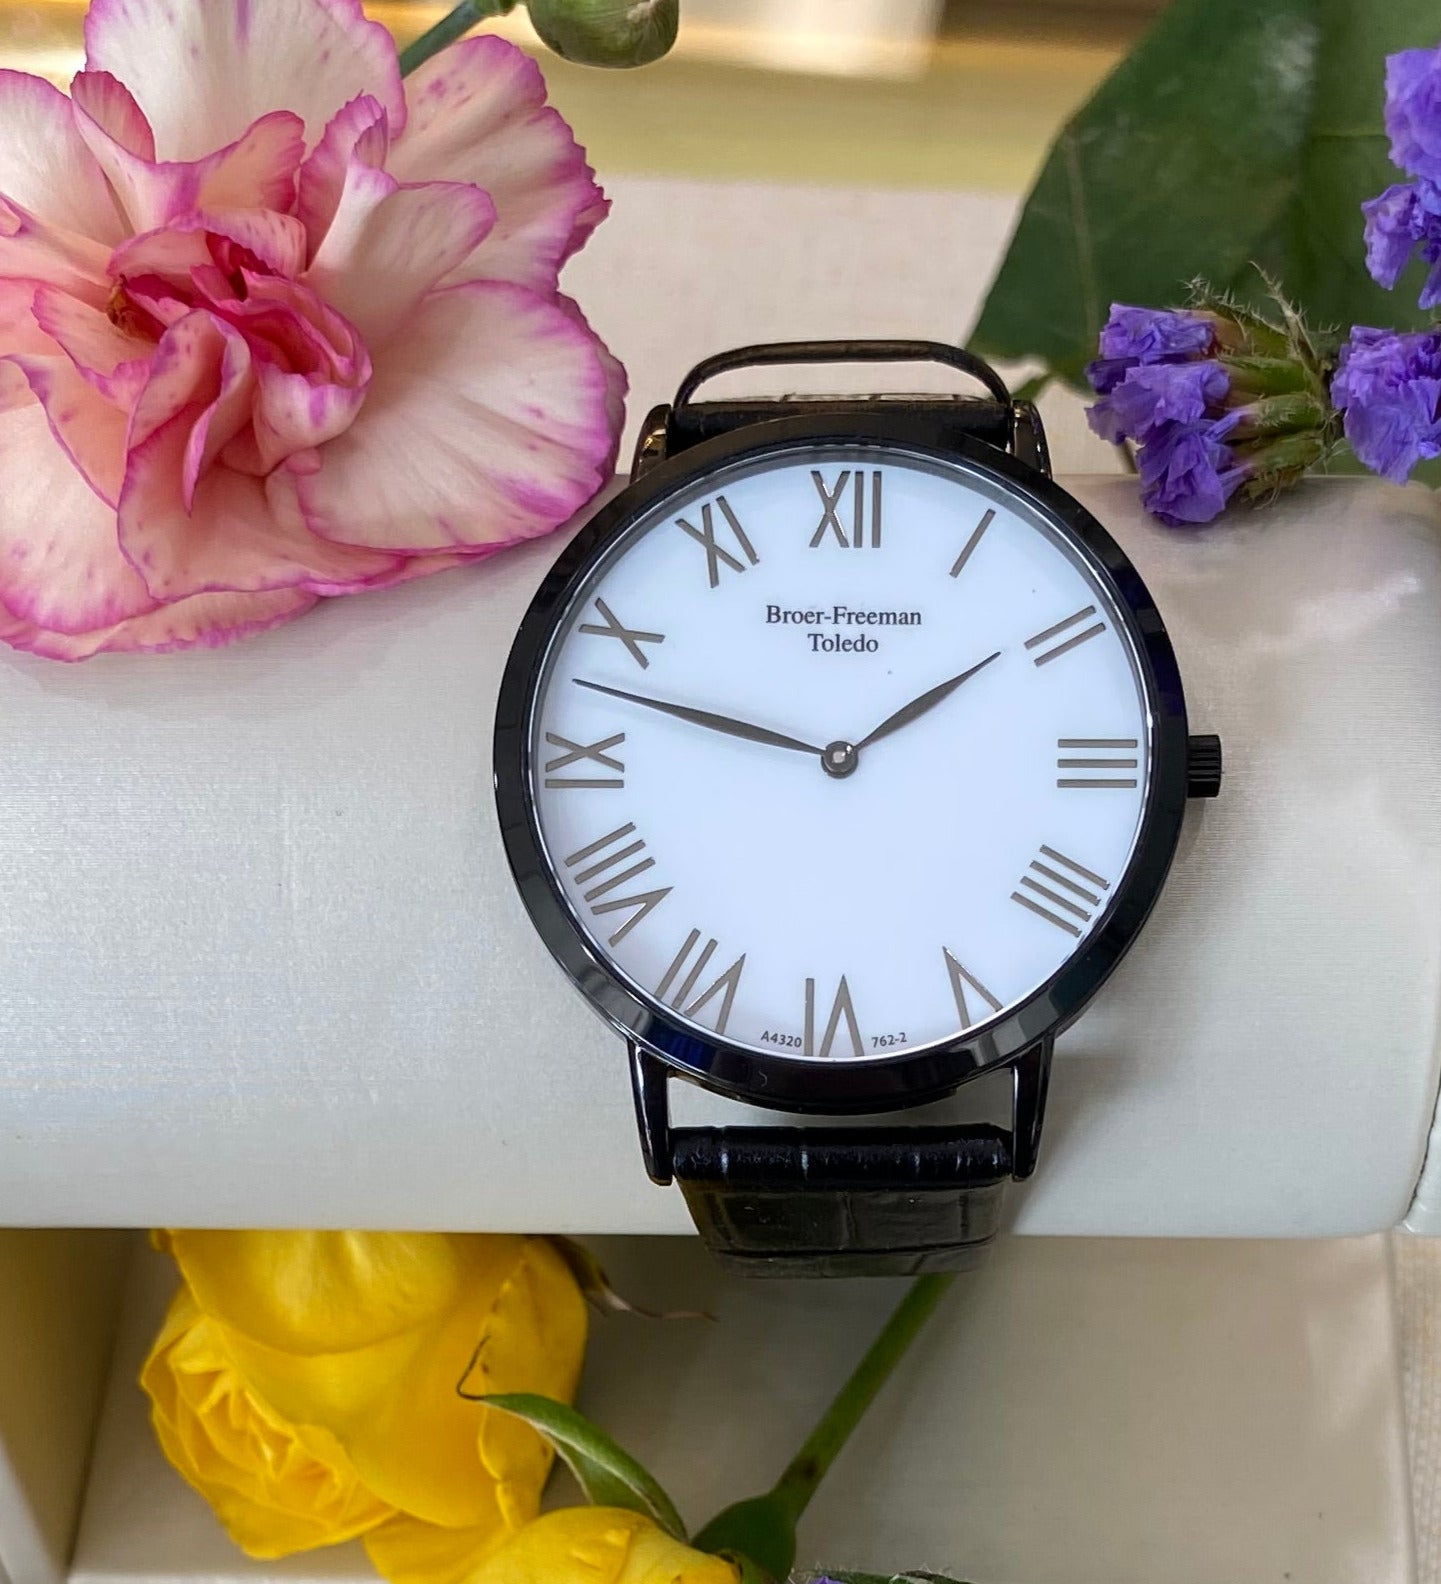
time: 1:47
